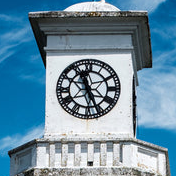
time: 11:25
